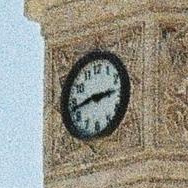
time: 2:42
